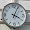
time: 4:04
